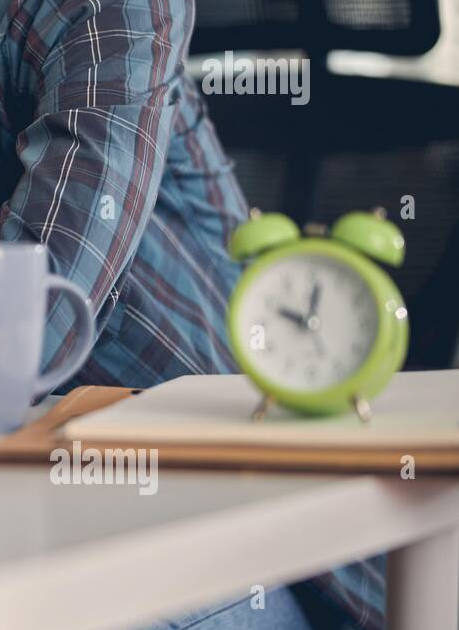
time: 10:02
